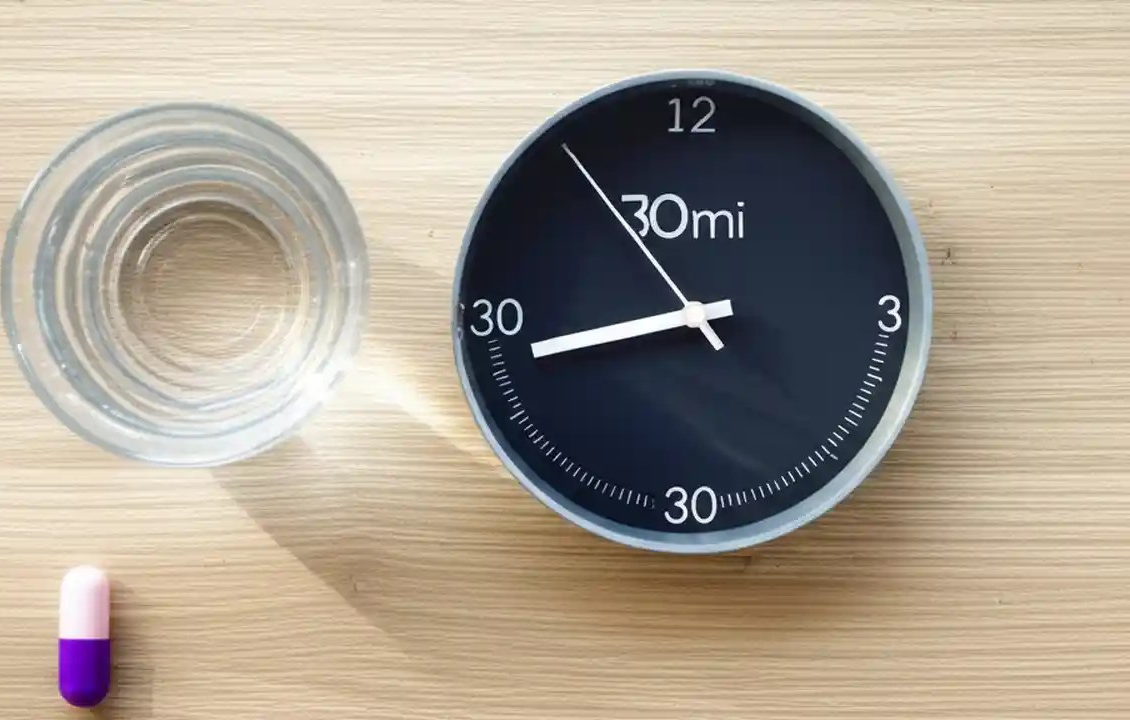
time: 10:42
